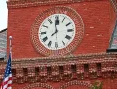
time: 7:59
